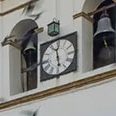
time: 11:28
